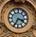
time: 3:34
